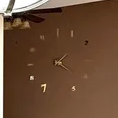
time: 1:21
